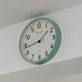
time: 1:43
